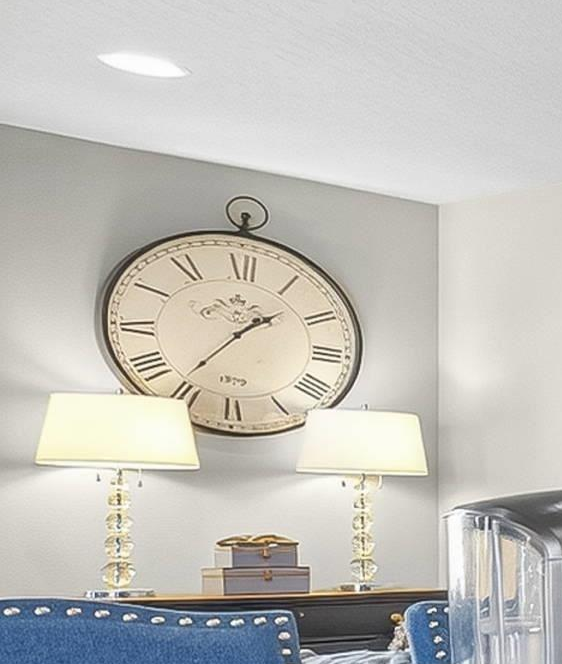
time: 1:36
